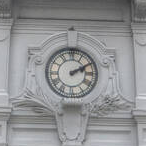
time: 2:10
